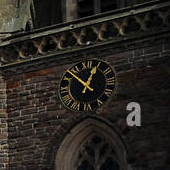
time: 12:52
